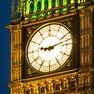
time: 9:12
